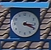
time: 3:19
